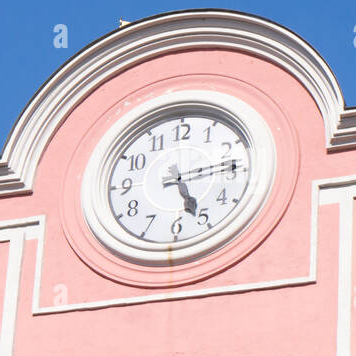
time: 5:13
